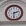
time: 2:30
